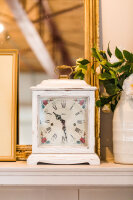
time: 10:28
